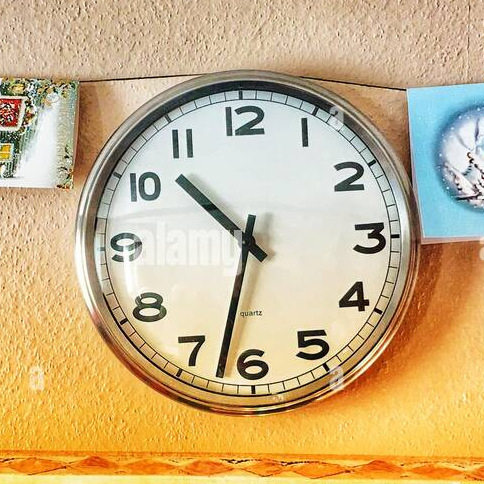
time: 10:32
